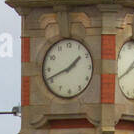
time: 1:41
